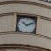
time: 10:11
